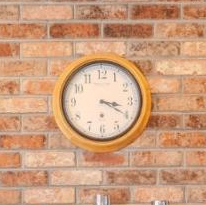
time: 3:19
